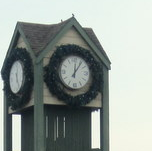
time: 12:06
